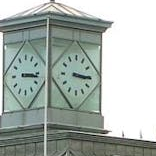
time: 3:15
